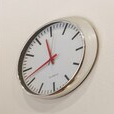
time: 11:42
